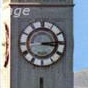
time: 3:13
